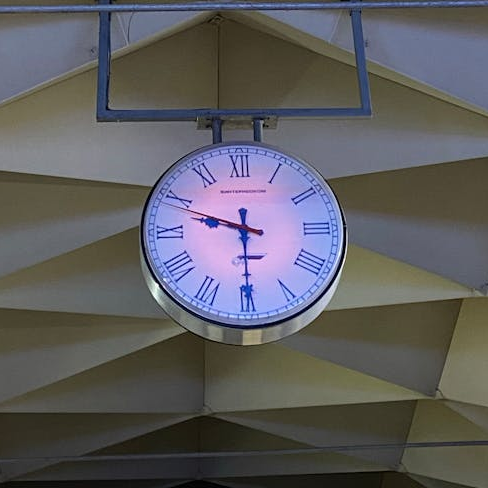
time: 9:29
